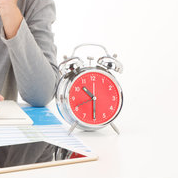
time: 10:30
